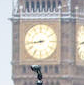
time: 8:43
